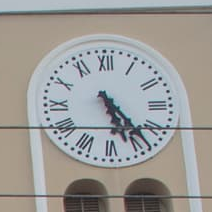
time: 5:23
